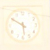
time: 5:50
